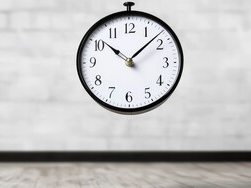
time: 10:07
